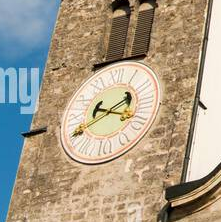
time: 2:18
